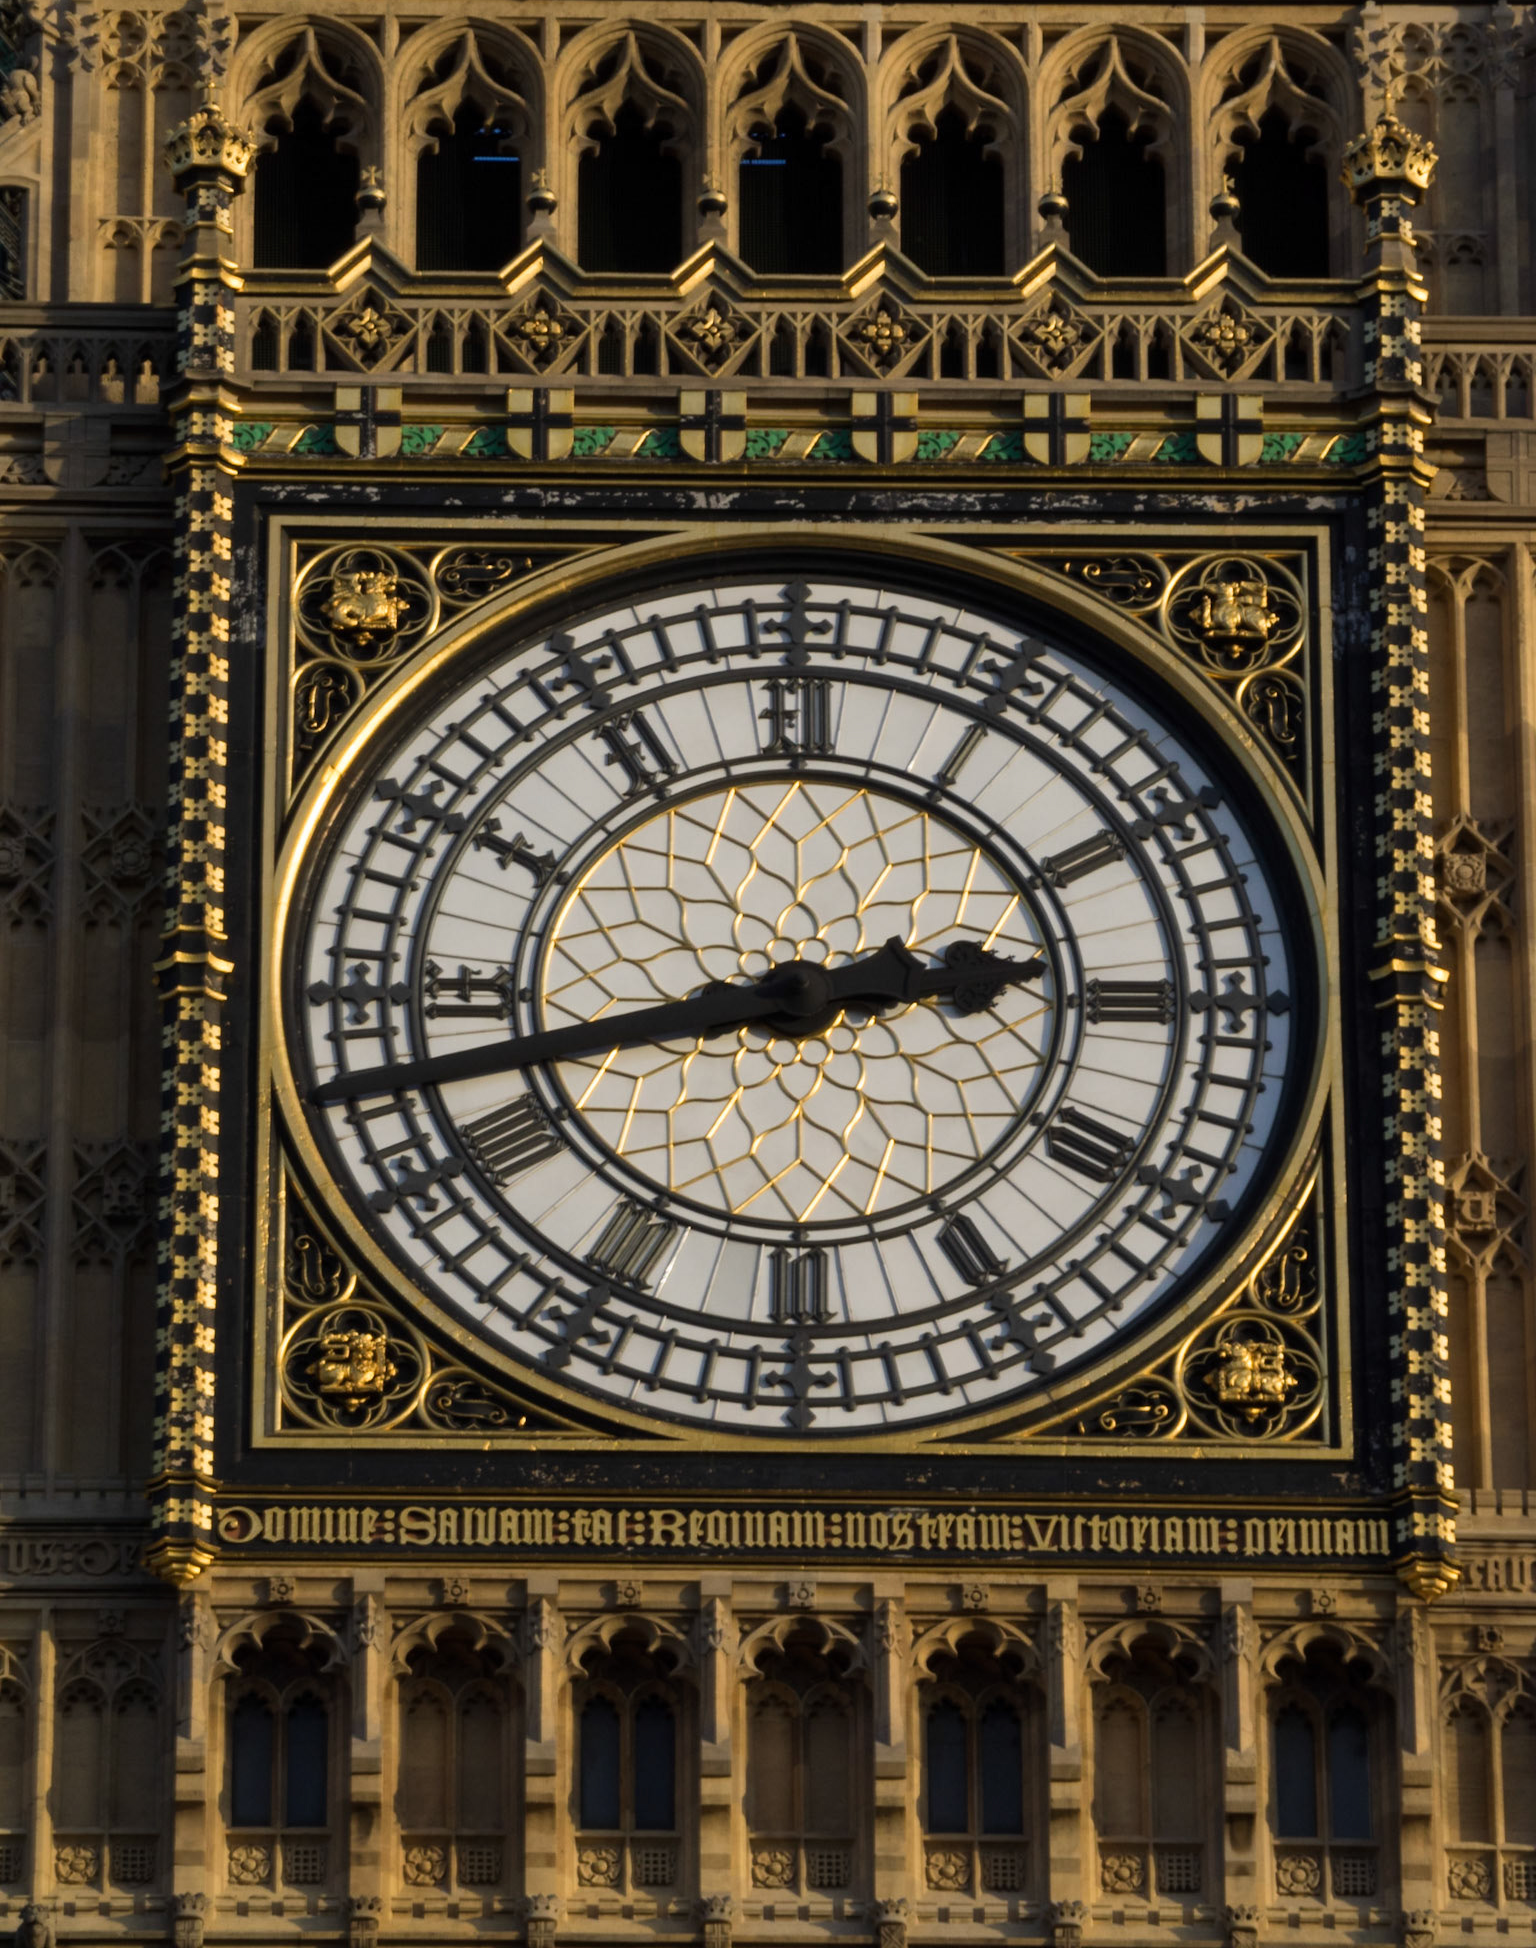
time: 2:42
